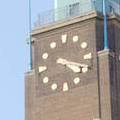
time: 4:18
